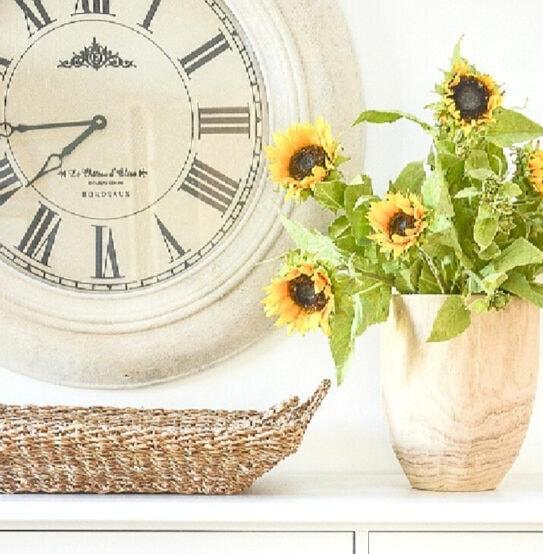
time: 7:44
